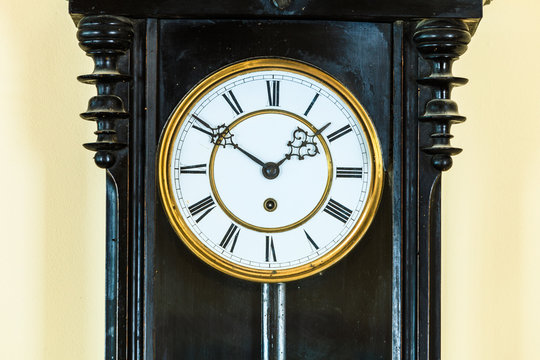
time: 1:50
